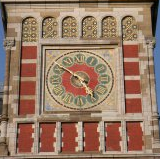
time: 4:50
